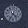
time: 4:35
